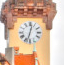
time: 12:32
